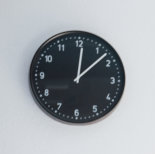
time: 12:07
